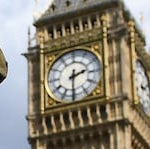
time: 2:30
